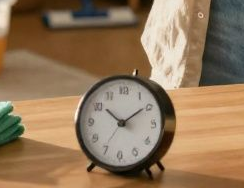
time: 1:51
